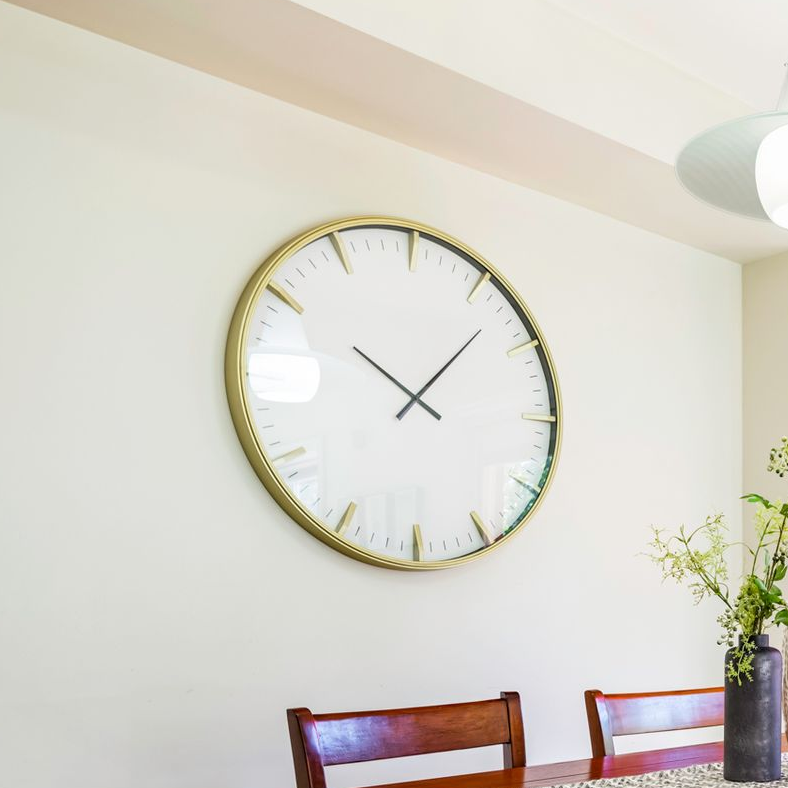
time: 10:07
